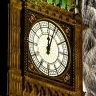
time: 12:03
